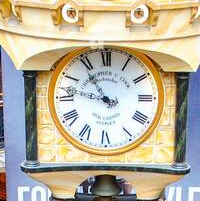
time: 10:47
